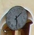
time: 1:28
